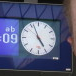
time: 4:56
